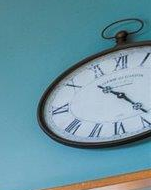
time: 4:22
